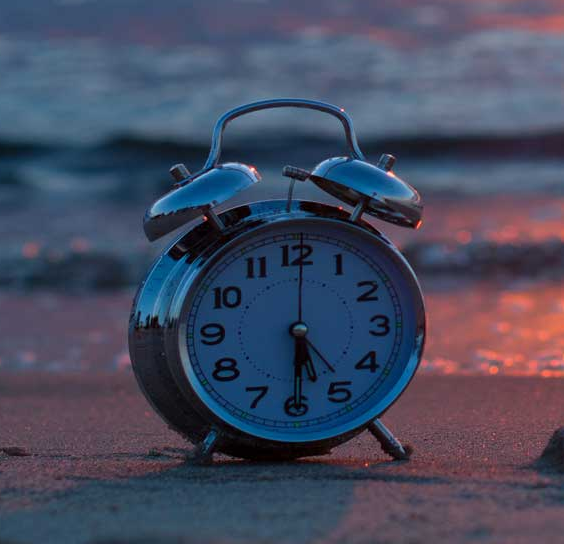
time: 5:30
